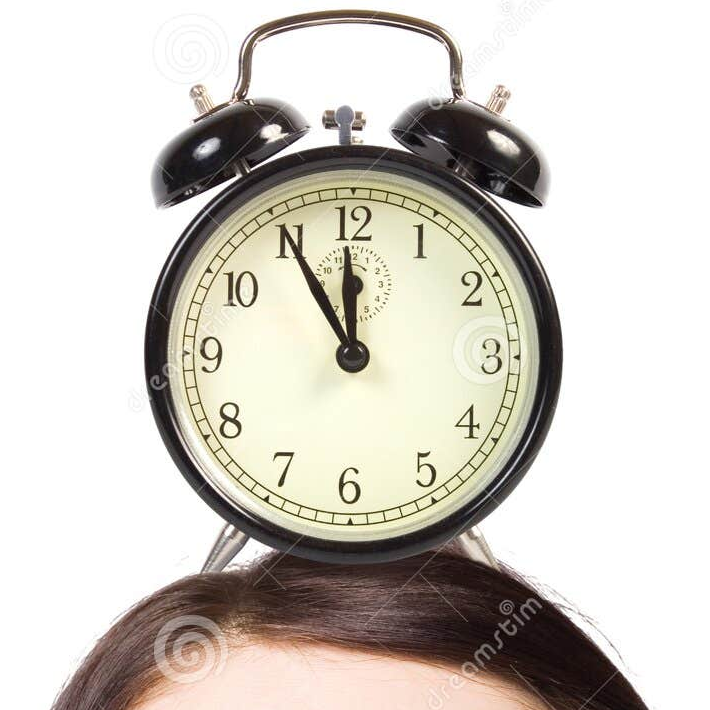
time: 11:55
